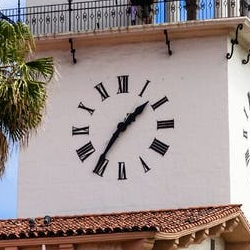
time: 1:35
